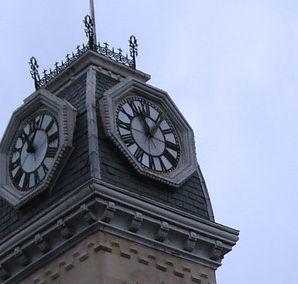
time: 11:06
